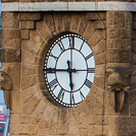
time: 5:45
